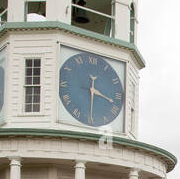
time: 3:29
